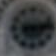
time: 9:13
